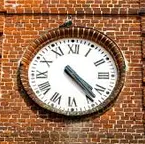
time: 4:23
